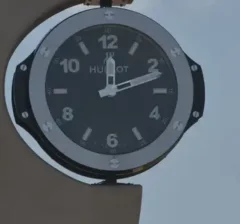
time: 12:11
